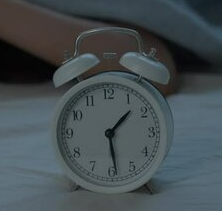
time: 1:28
